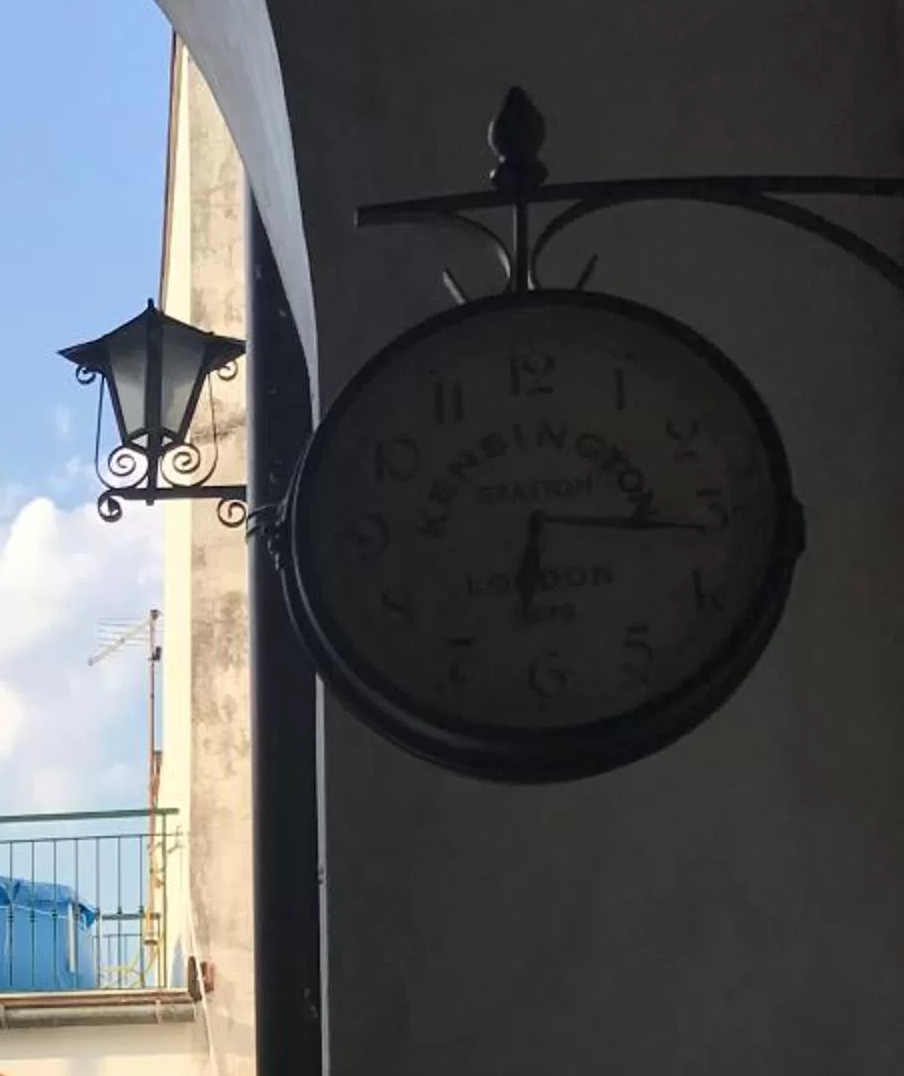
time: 6:16
